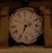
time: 2:34
